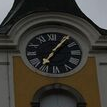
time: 7:06
